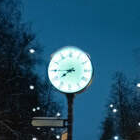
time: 7:44
